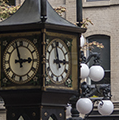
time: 2:58
